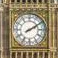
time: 2:09
